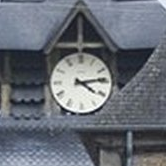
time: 4:13
